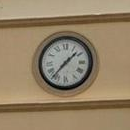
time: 1:36
